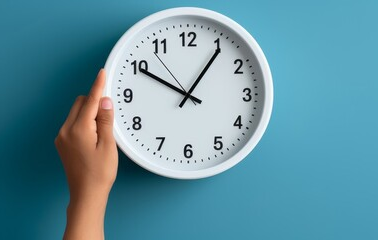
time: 10:05
